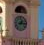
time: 1:14
